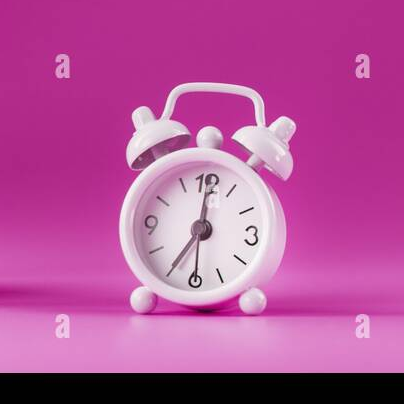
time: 7:00
